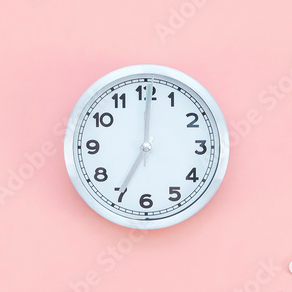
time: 7:00
